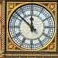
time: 11:52
